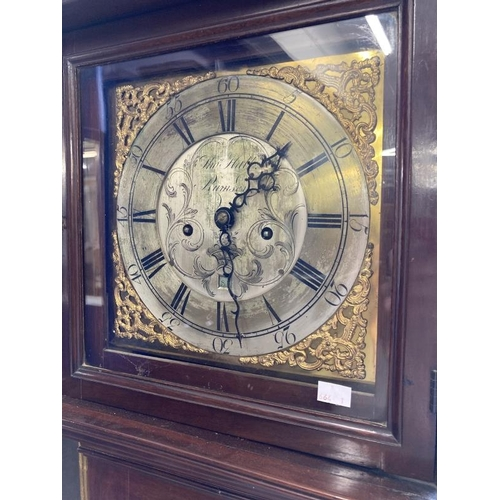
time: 1:28
